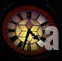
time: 4:33
